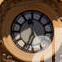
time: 11:34
